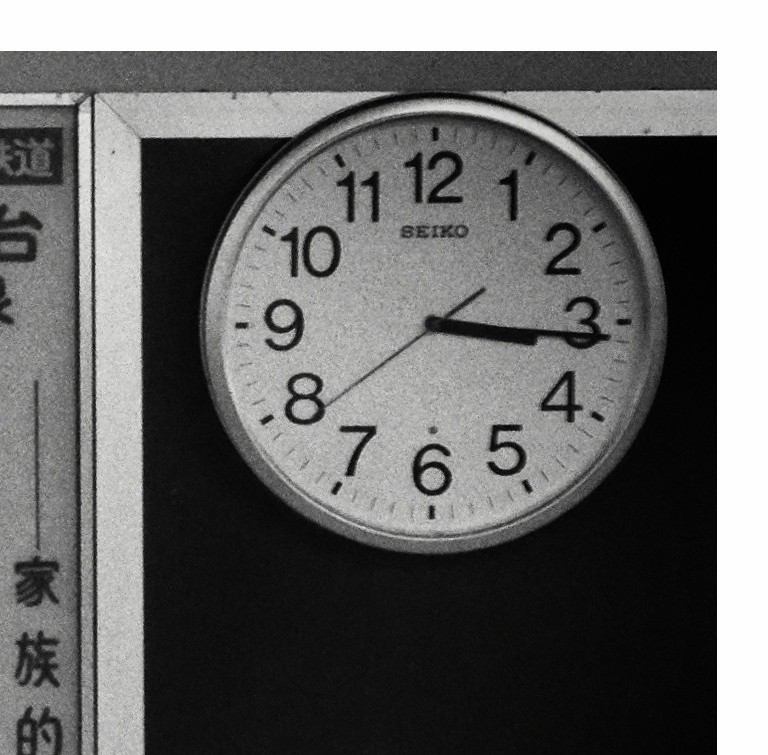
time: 3:15
